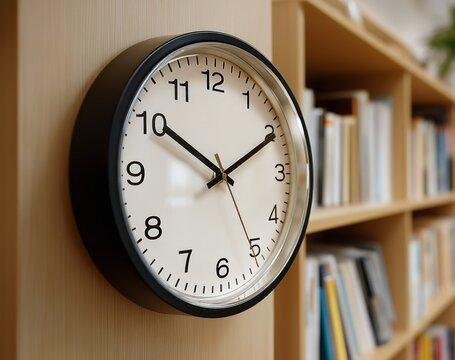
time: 10:10
